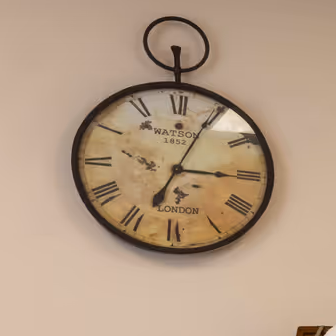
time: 3:04
